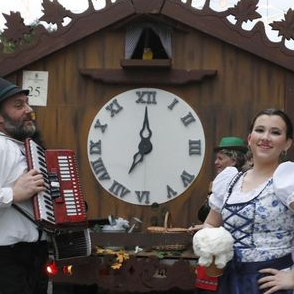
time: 7:00
